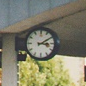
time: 3:09
